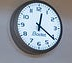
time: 12:20
